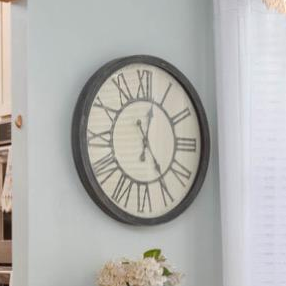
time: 12:24
